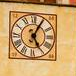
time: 5:04
